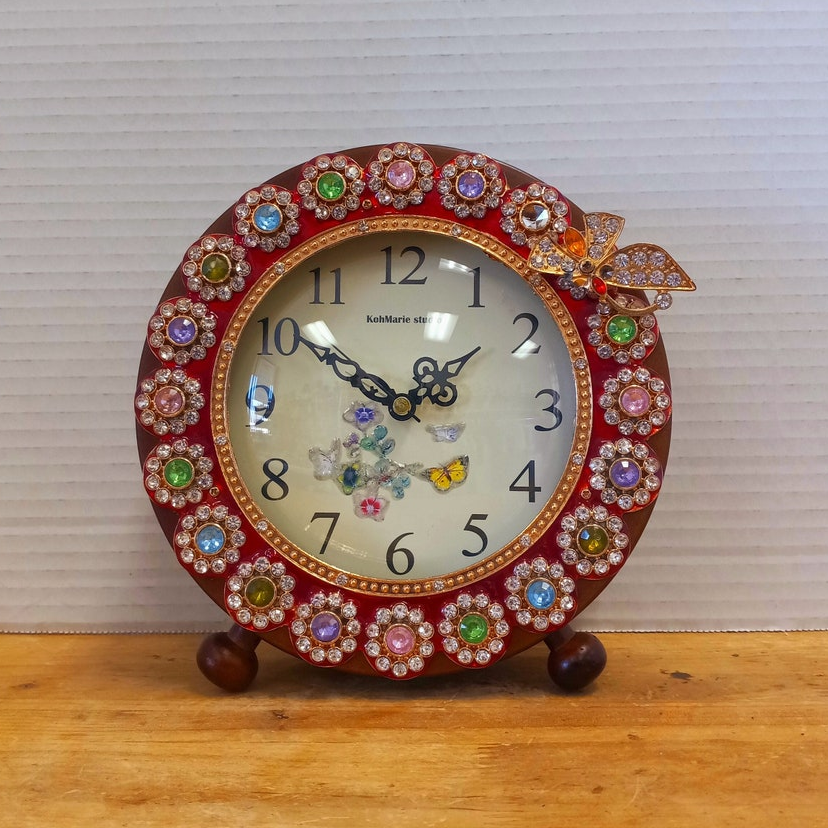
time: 1:51
